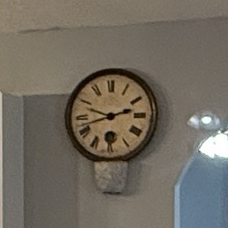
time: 9:42
